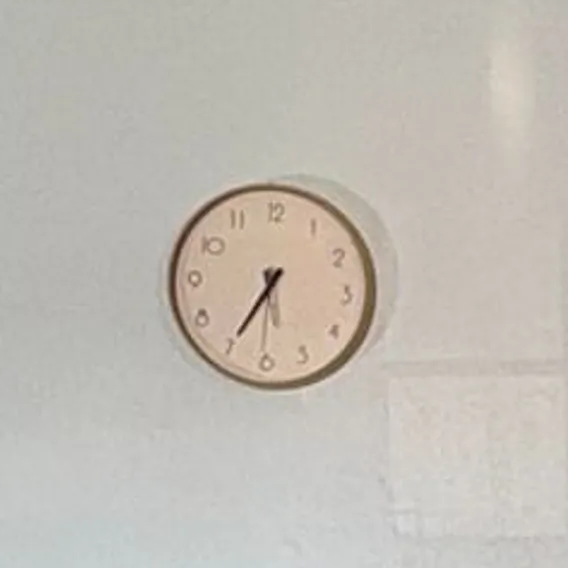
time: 5:35
